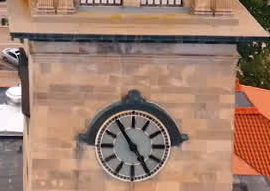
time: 4:54
